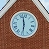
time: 5:58
